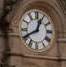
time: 12:40
